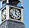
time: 12:22
